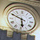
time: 5:49
